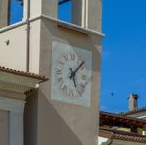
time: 5:07
